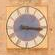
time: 3:16
